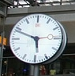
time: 5:48
